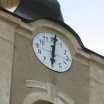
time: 6:01
